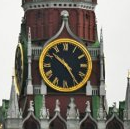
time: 10:24
